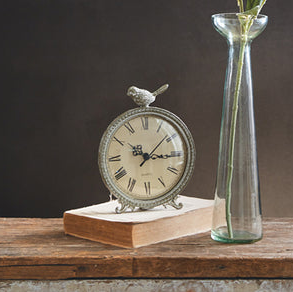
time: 10:15
